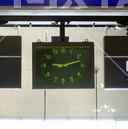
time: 9:12
